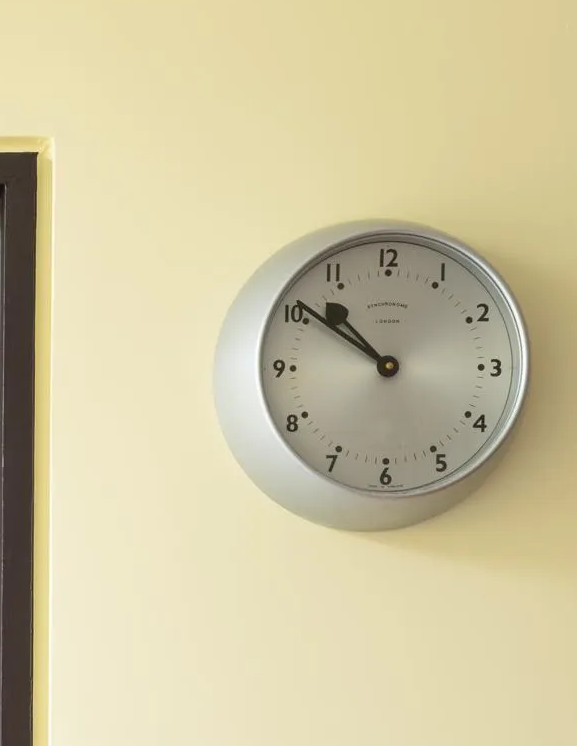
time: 10:51
